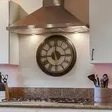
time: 11:44
